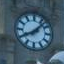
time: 8:07
